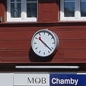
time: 10:22
